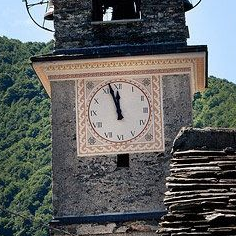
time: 11:57
